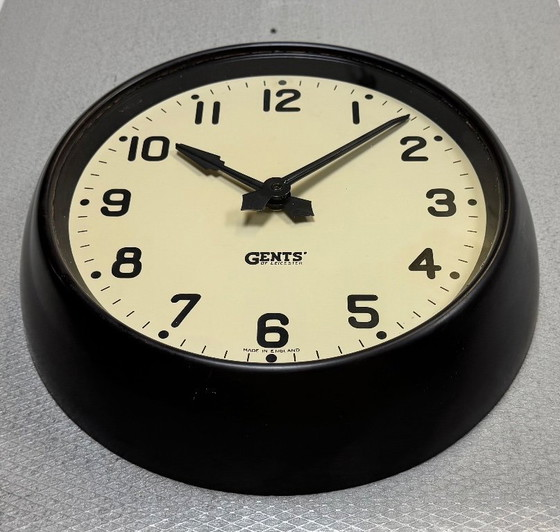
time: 10:07
